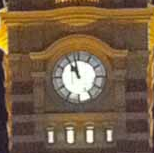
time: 10:58
